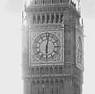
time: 6:01
